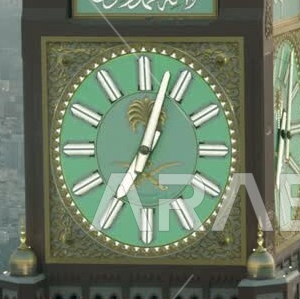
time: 7:02
